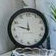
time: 11:47
